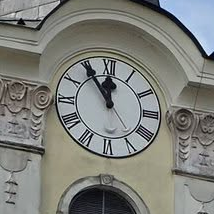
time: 11:54
